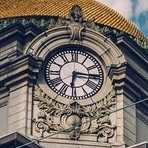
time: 6:15
